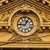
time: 12:46
